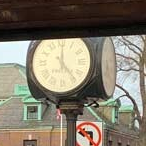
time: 12:23
